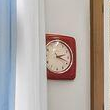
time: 2:18
